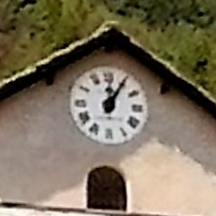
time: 12:05
